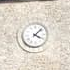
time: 4:07
